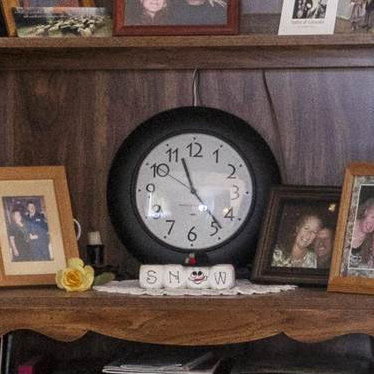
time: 11:23
